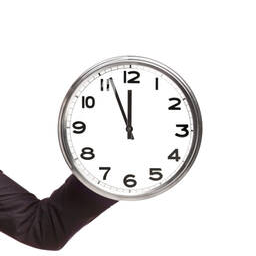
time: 11:56
